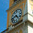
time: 4:42
